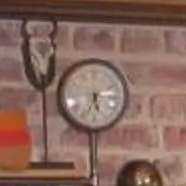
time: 5:33
